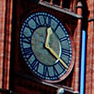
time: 12:19
